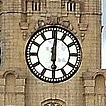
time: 6:00
